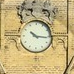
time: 10:15
